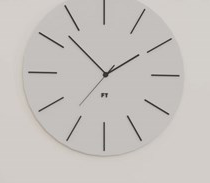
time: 1:52
